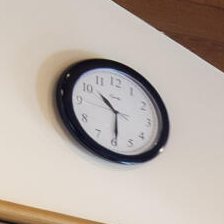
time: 10:29
